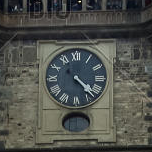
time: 4:22
